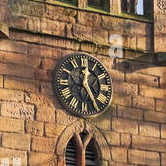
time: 12:24
